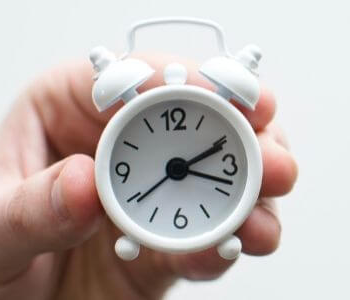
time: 2:18
